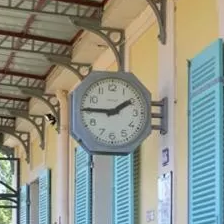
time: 1:45
